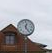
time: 12:24
